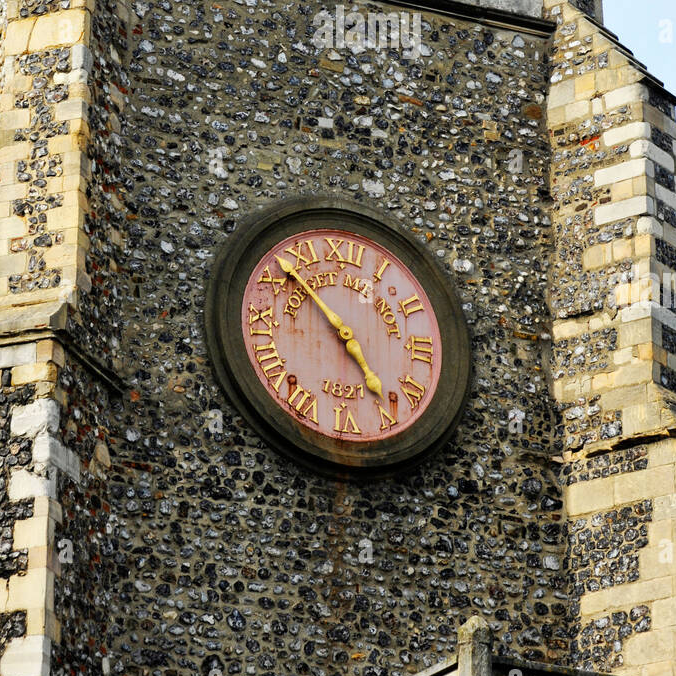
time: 4:52
